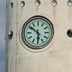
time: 5:51
